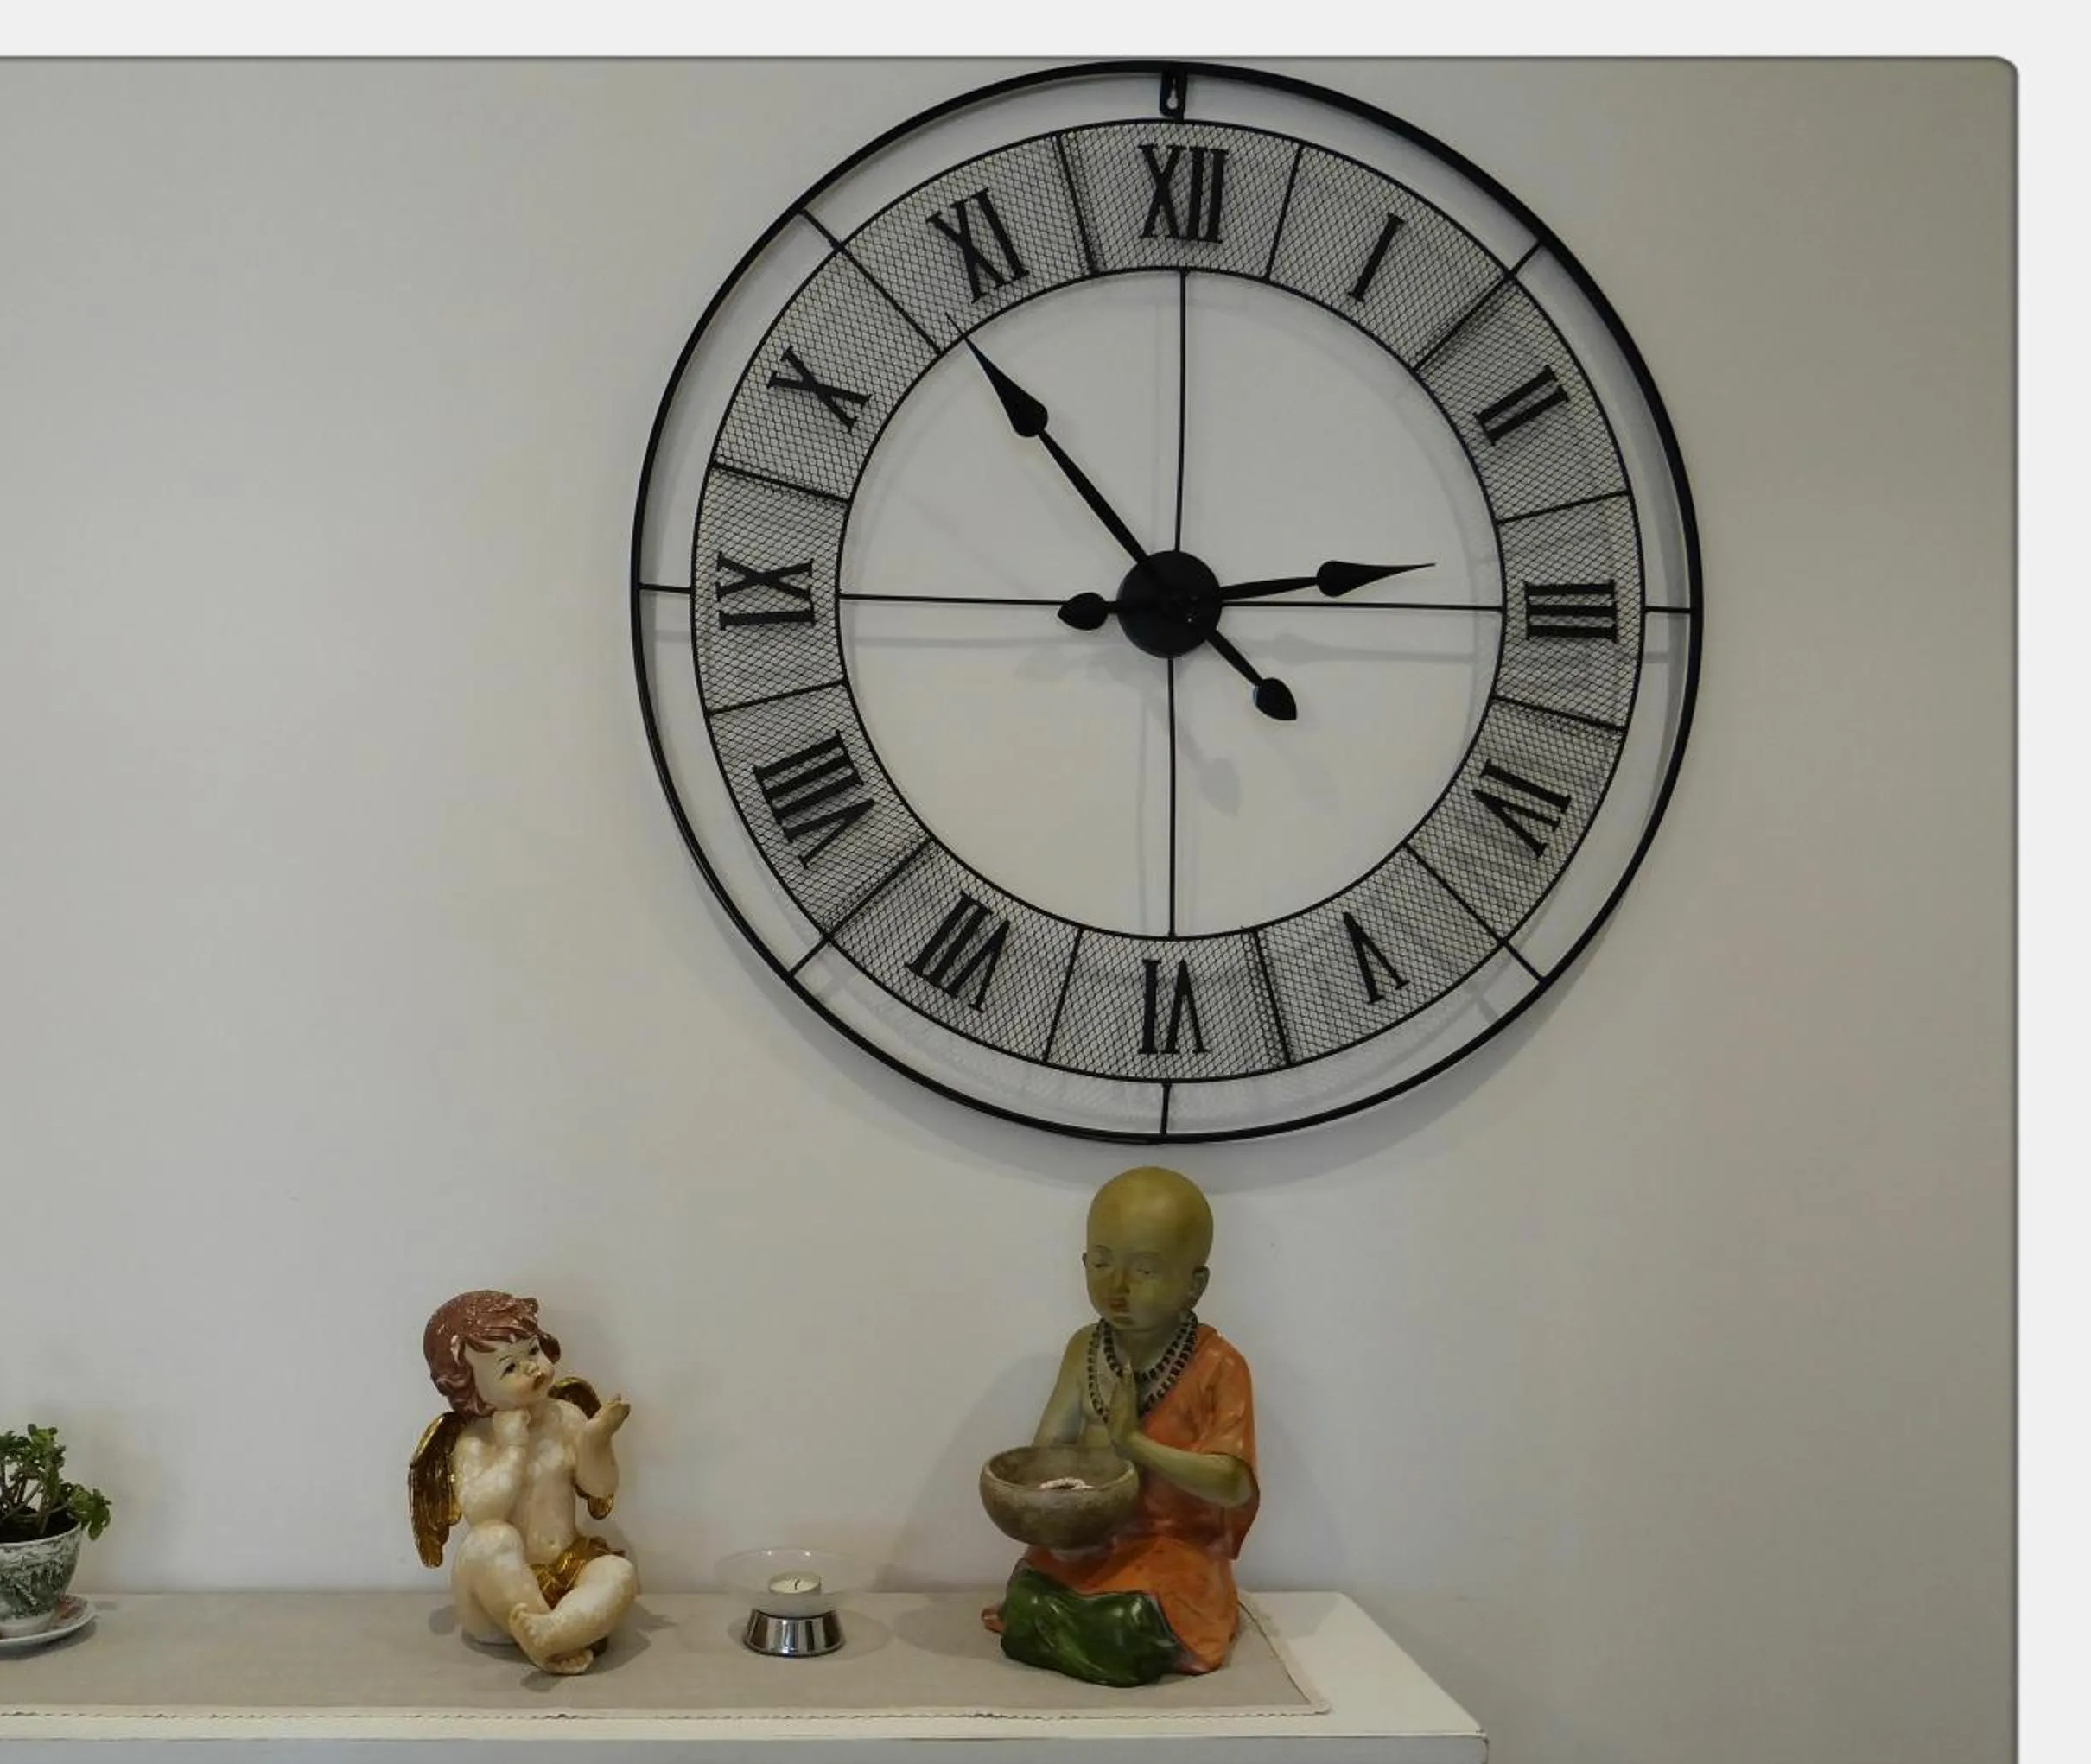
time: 2:53
